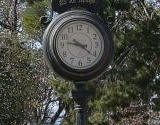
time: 9:21
